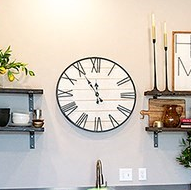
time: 11:54
